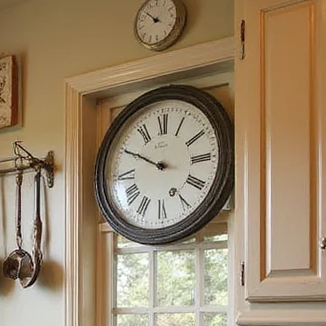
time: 9:49
